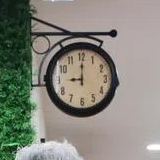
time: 9:00
